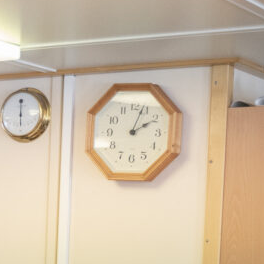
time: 2:03
